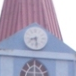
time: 8:28
